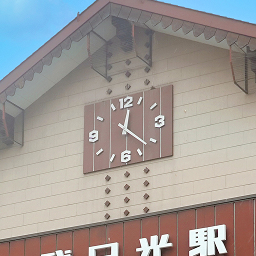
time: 12:21
